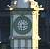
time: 6:13
